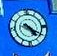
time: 4:19
